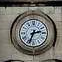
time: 2:33
